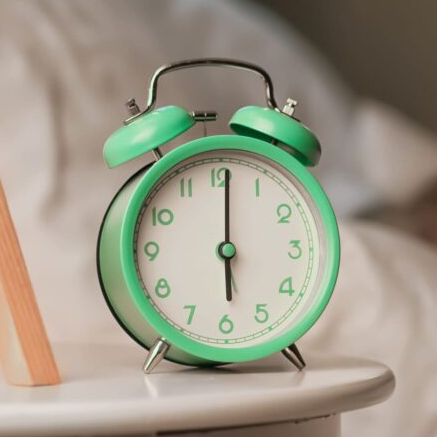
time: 6:00
